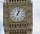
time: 1:02
